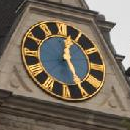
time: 12:26
